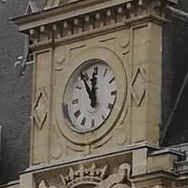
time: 11:54
